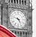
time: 4:47
